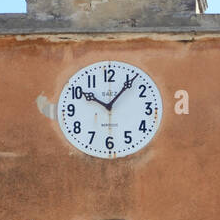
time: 10:06
